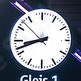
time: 8:41
